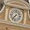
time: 7:37
